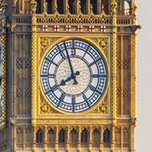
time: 7:56
